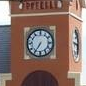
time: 6:35
